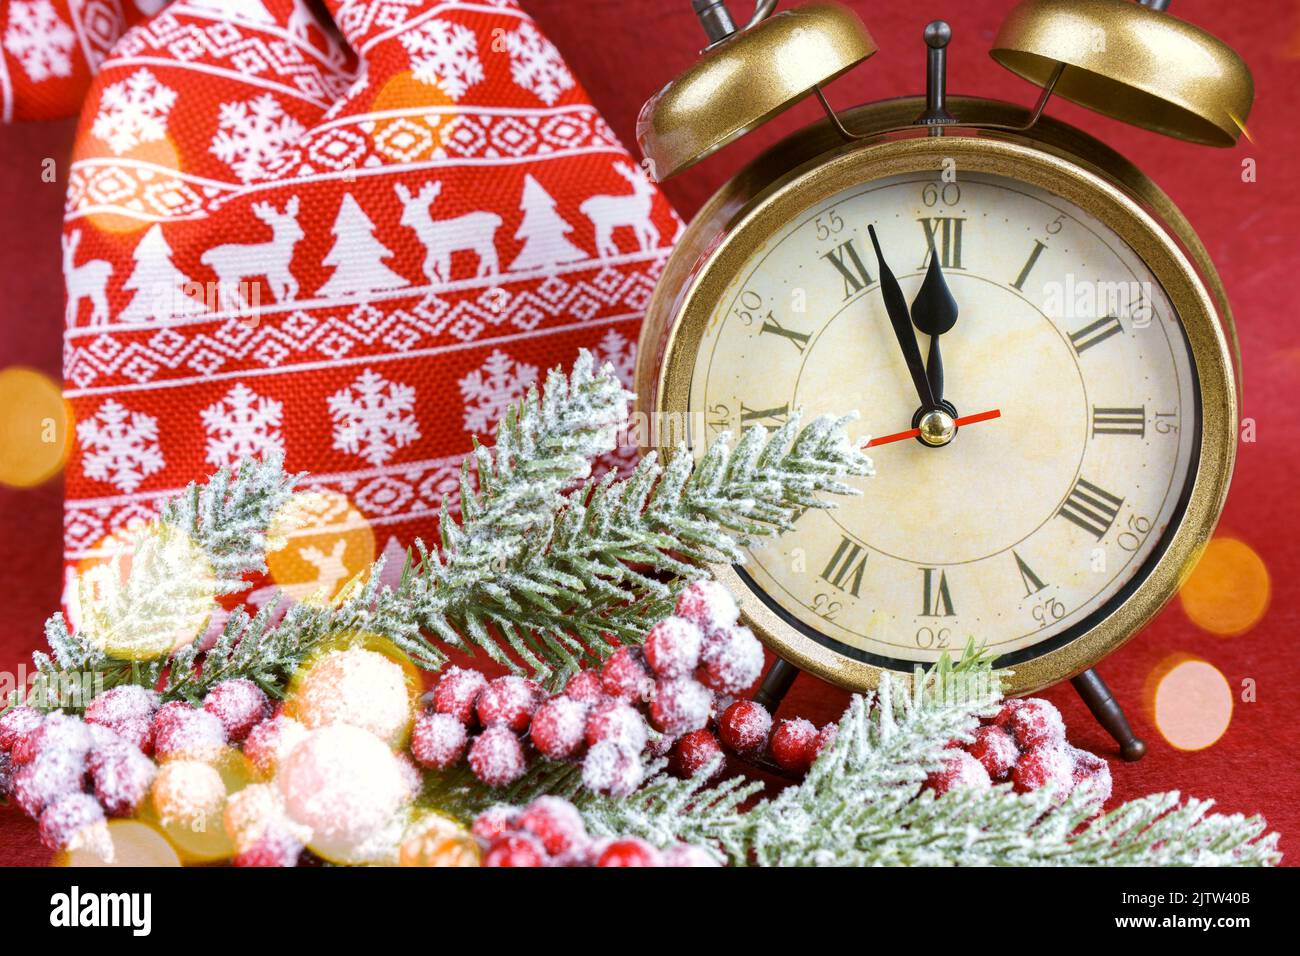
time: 11:56
